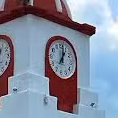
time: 1:01
